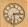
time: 2:29
